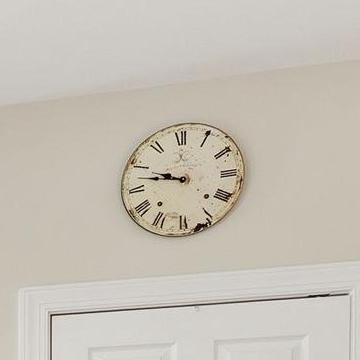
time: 9:47
